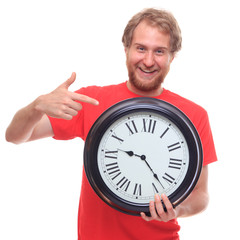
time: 9:22
